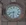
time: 8:31
